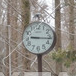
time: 9:16
